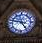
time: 4:46
